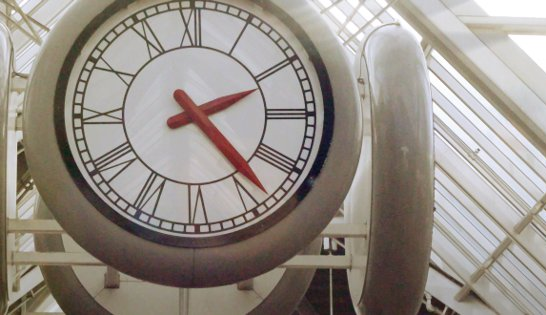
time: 2:23
